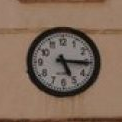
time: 5:15
